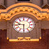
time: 9:30
